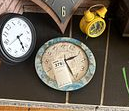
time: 2:26
